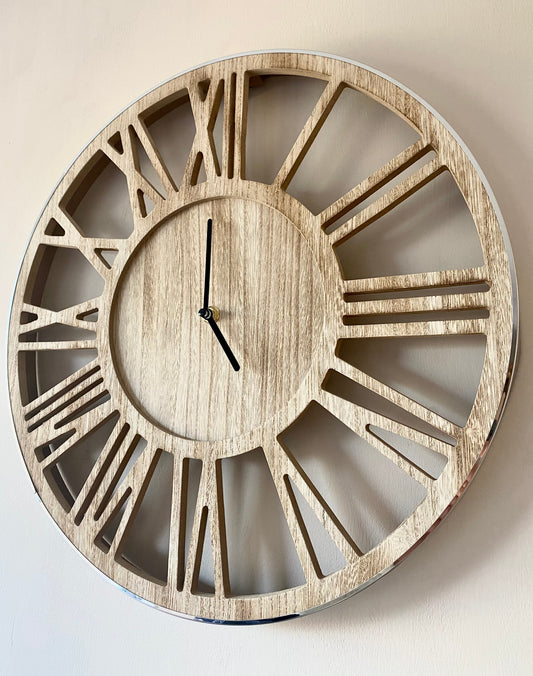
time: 5:00
